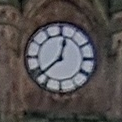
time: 12:38
